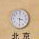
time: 3:30
